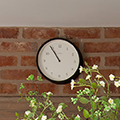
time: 10:54
